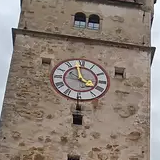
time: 3:58
